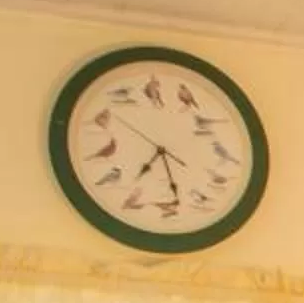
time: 7:28
